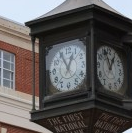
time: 12:55
